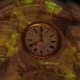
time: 11:40
